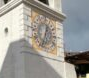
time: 12:33
